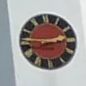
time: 2:45
